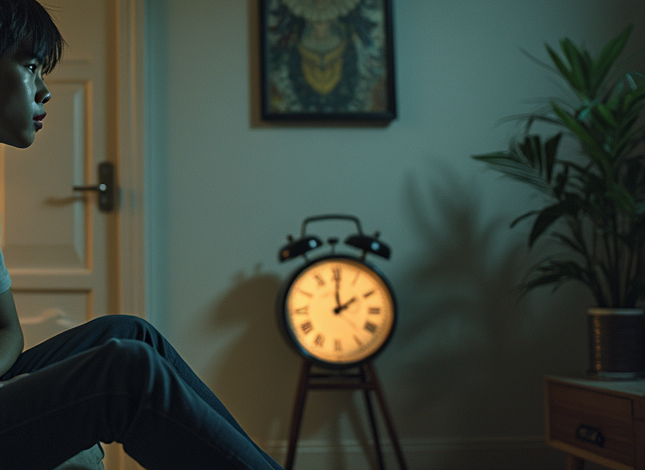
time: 2:00
